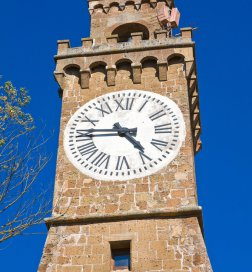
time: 4:45
